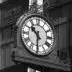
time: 10:30
